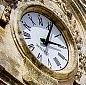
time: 3:05
